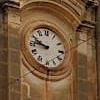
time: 9:45
